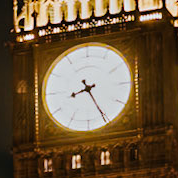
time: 8:25
